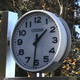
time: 1:31
